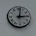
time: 3:02
